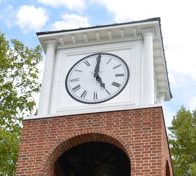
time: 5:00
